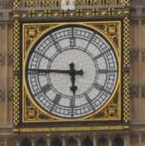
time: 5:45
